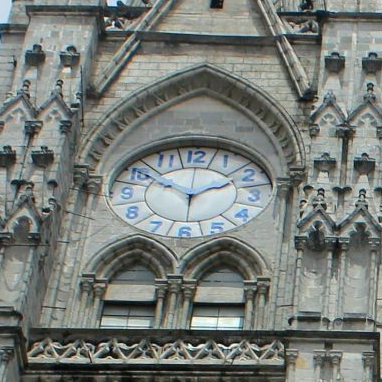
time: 1:50
